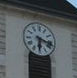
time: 6:17
